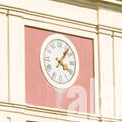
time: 4:06
